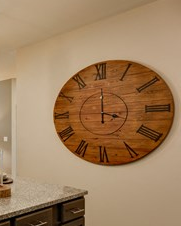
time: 4:00
